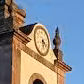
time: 5:18
